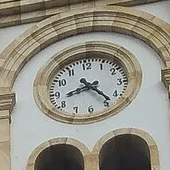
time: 8:23
